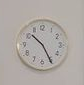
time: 10:25
